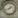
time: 1:42
